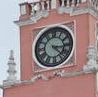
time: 3:22
